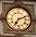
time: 7:11
